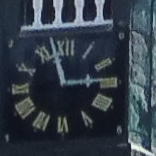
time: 2:57
